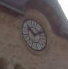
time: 10:12
